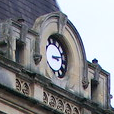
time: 3:12
